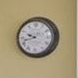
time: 9:42
